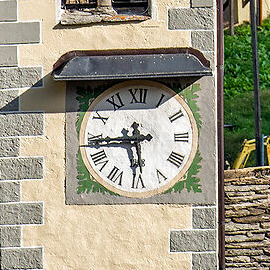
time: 5:44
